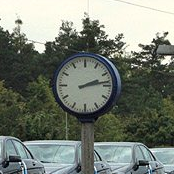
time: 2:13
